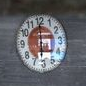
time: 6:00
